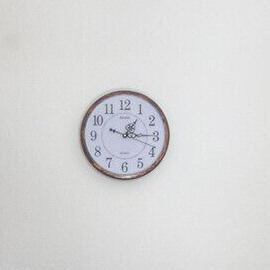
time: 1:14
